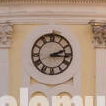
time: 2:16
